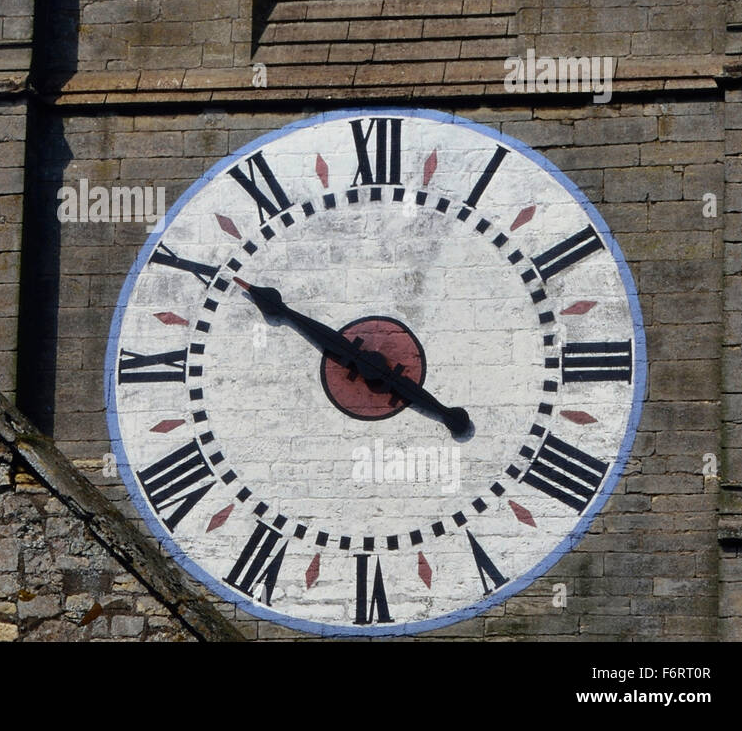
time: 3:50
